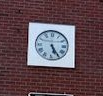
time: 5:24
